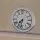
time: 7:32
